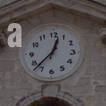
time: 12:37
